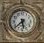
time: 5:38
